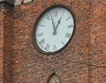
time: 12:57
